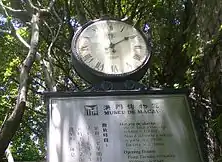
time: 2:00
